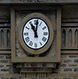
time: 11:01
